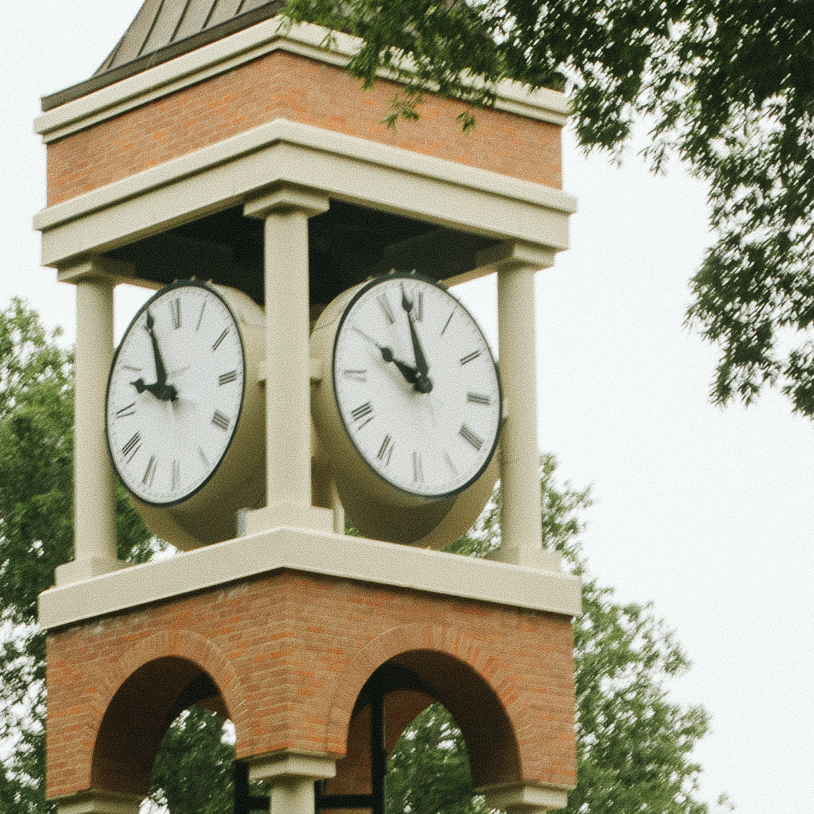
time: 9:57
